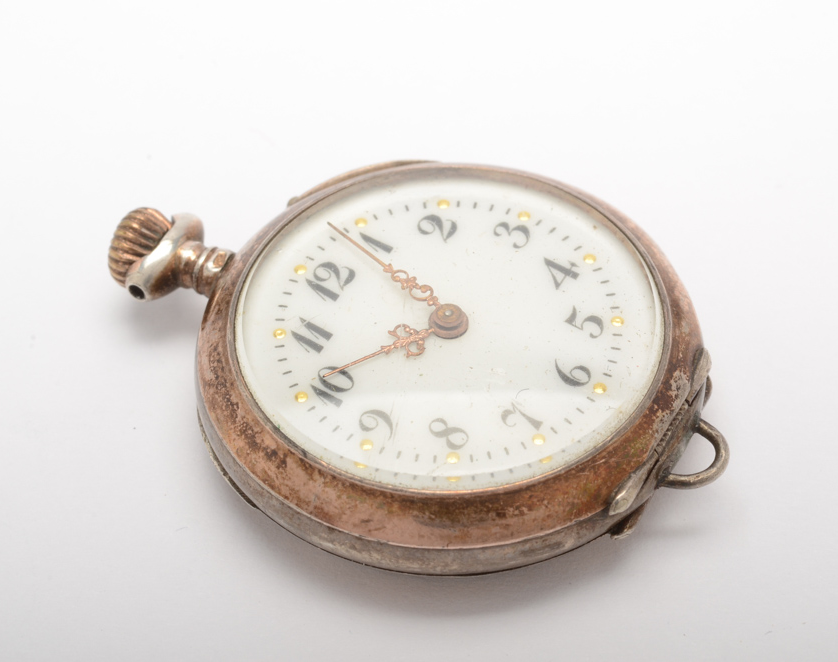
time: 7:54
